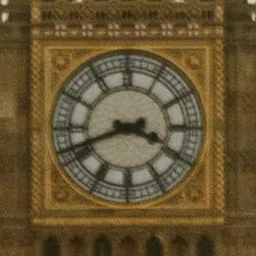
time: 3:41
